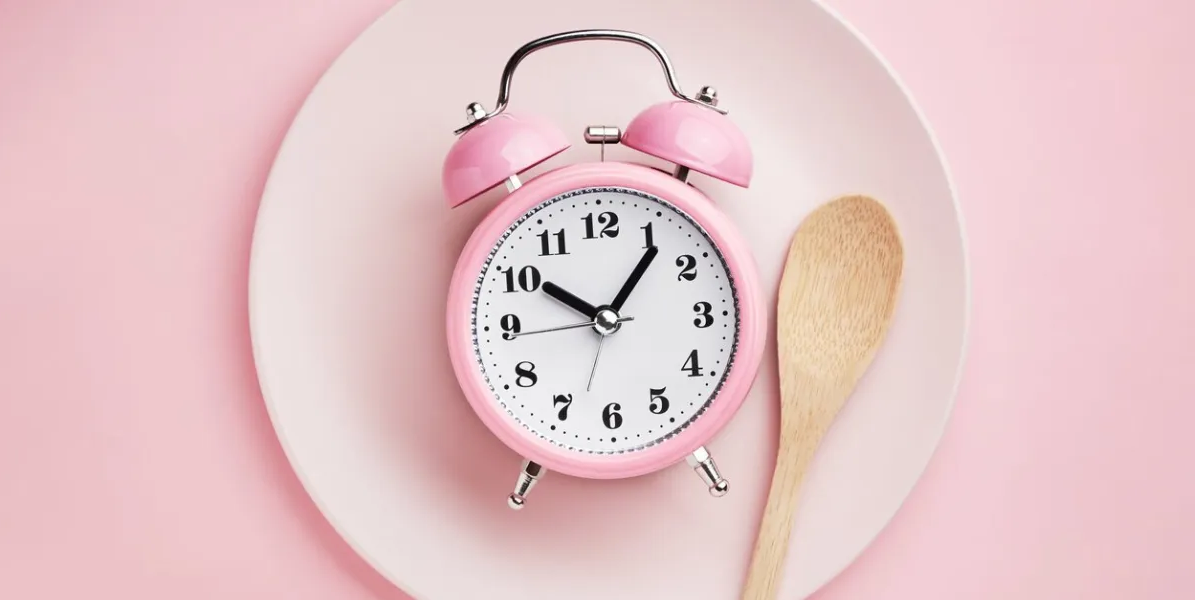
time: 10:06
